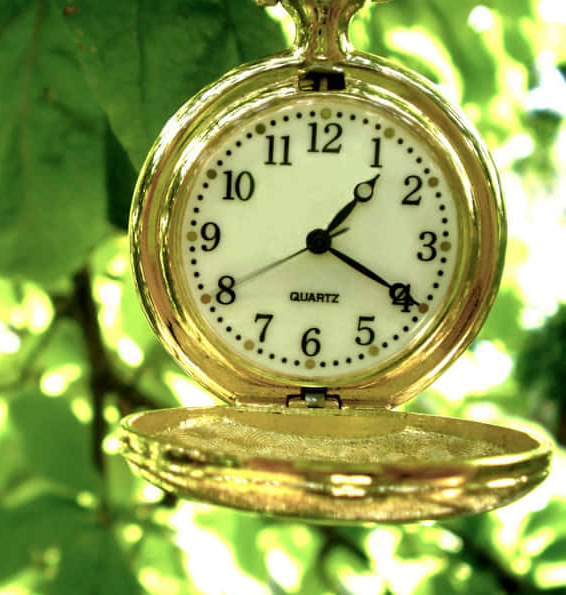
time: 1:19
